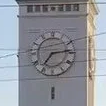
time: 7:14
